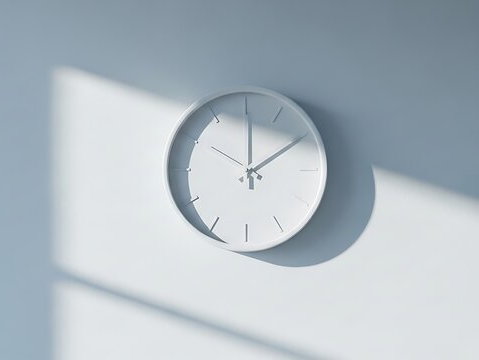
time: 12:09
